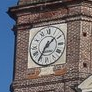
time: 1:35
